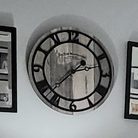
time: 2:37
